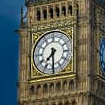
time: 7:30
